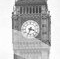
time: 3:33
